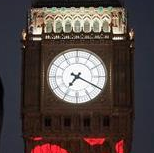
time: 7:19
